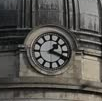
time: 1:18
